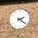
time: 2:21
